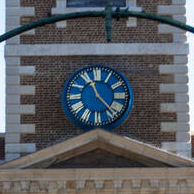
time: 11:23
